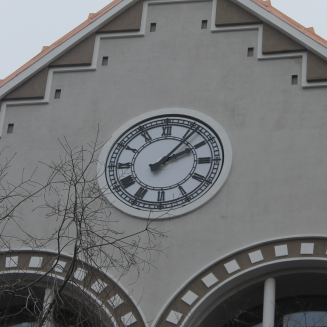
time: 2:06
